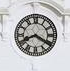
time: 8:20
